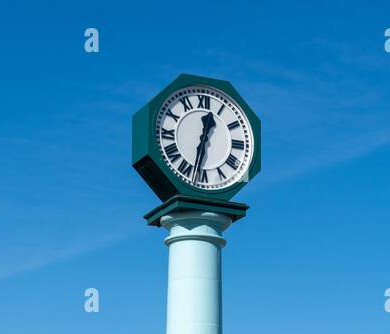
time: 12:32
